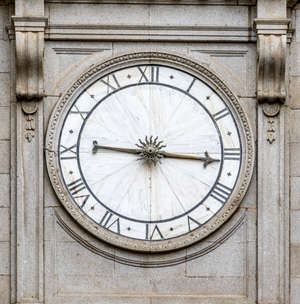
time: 9:15
